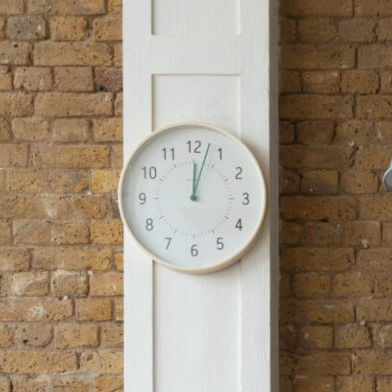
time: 12:02
